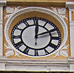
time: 2:00
